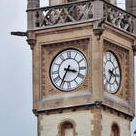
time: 3:35
